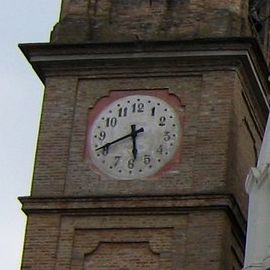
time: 5:41
